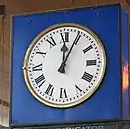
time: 12:04
